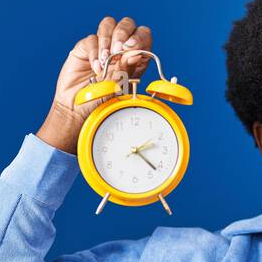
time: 2:21
